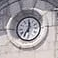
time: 12:35
